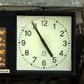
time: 4:54
